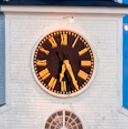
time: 6:25
